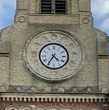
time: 4:35
